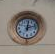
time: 12:12
